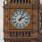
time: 2:04
